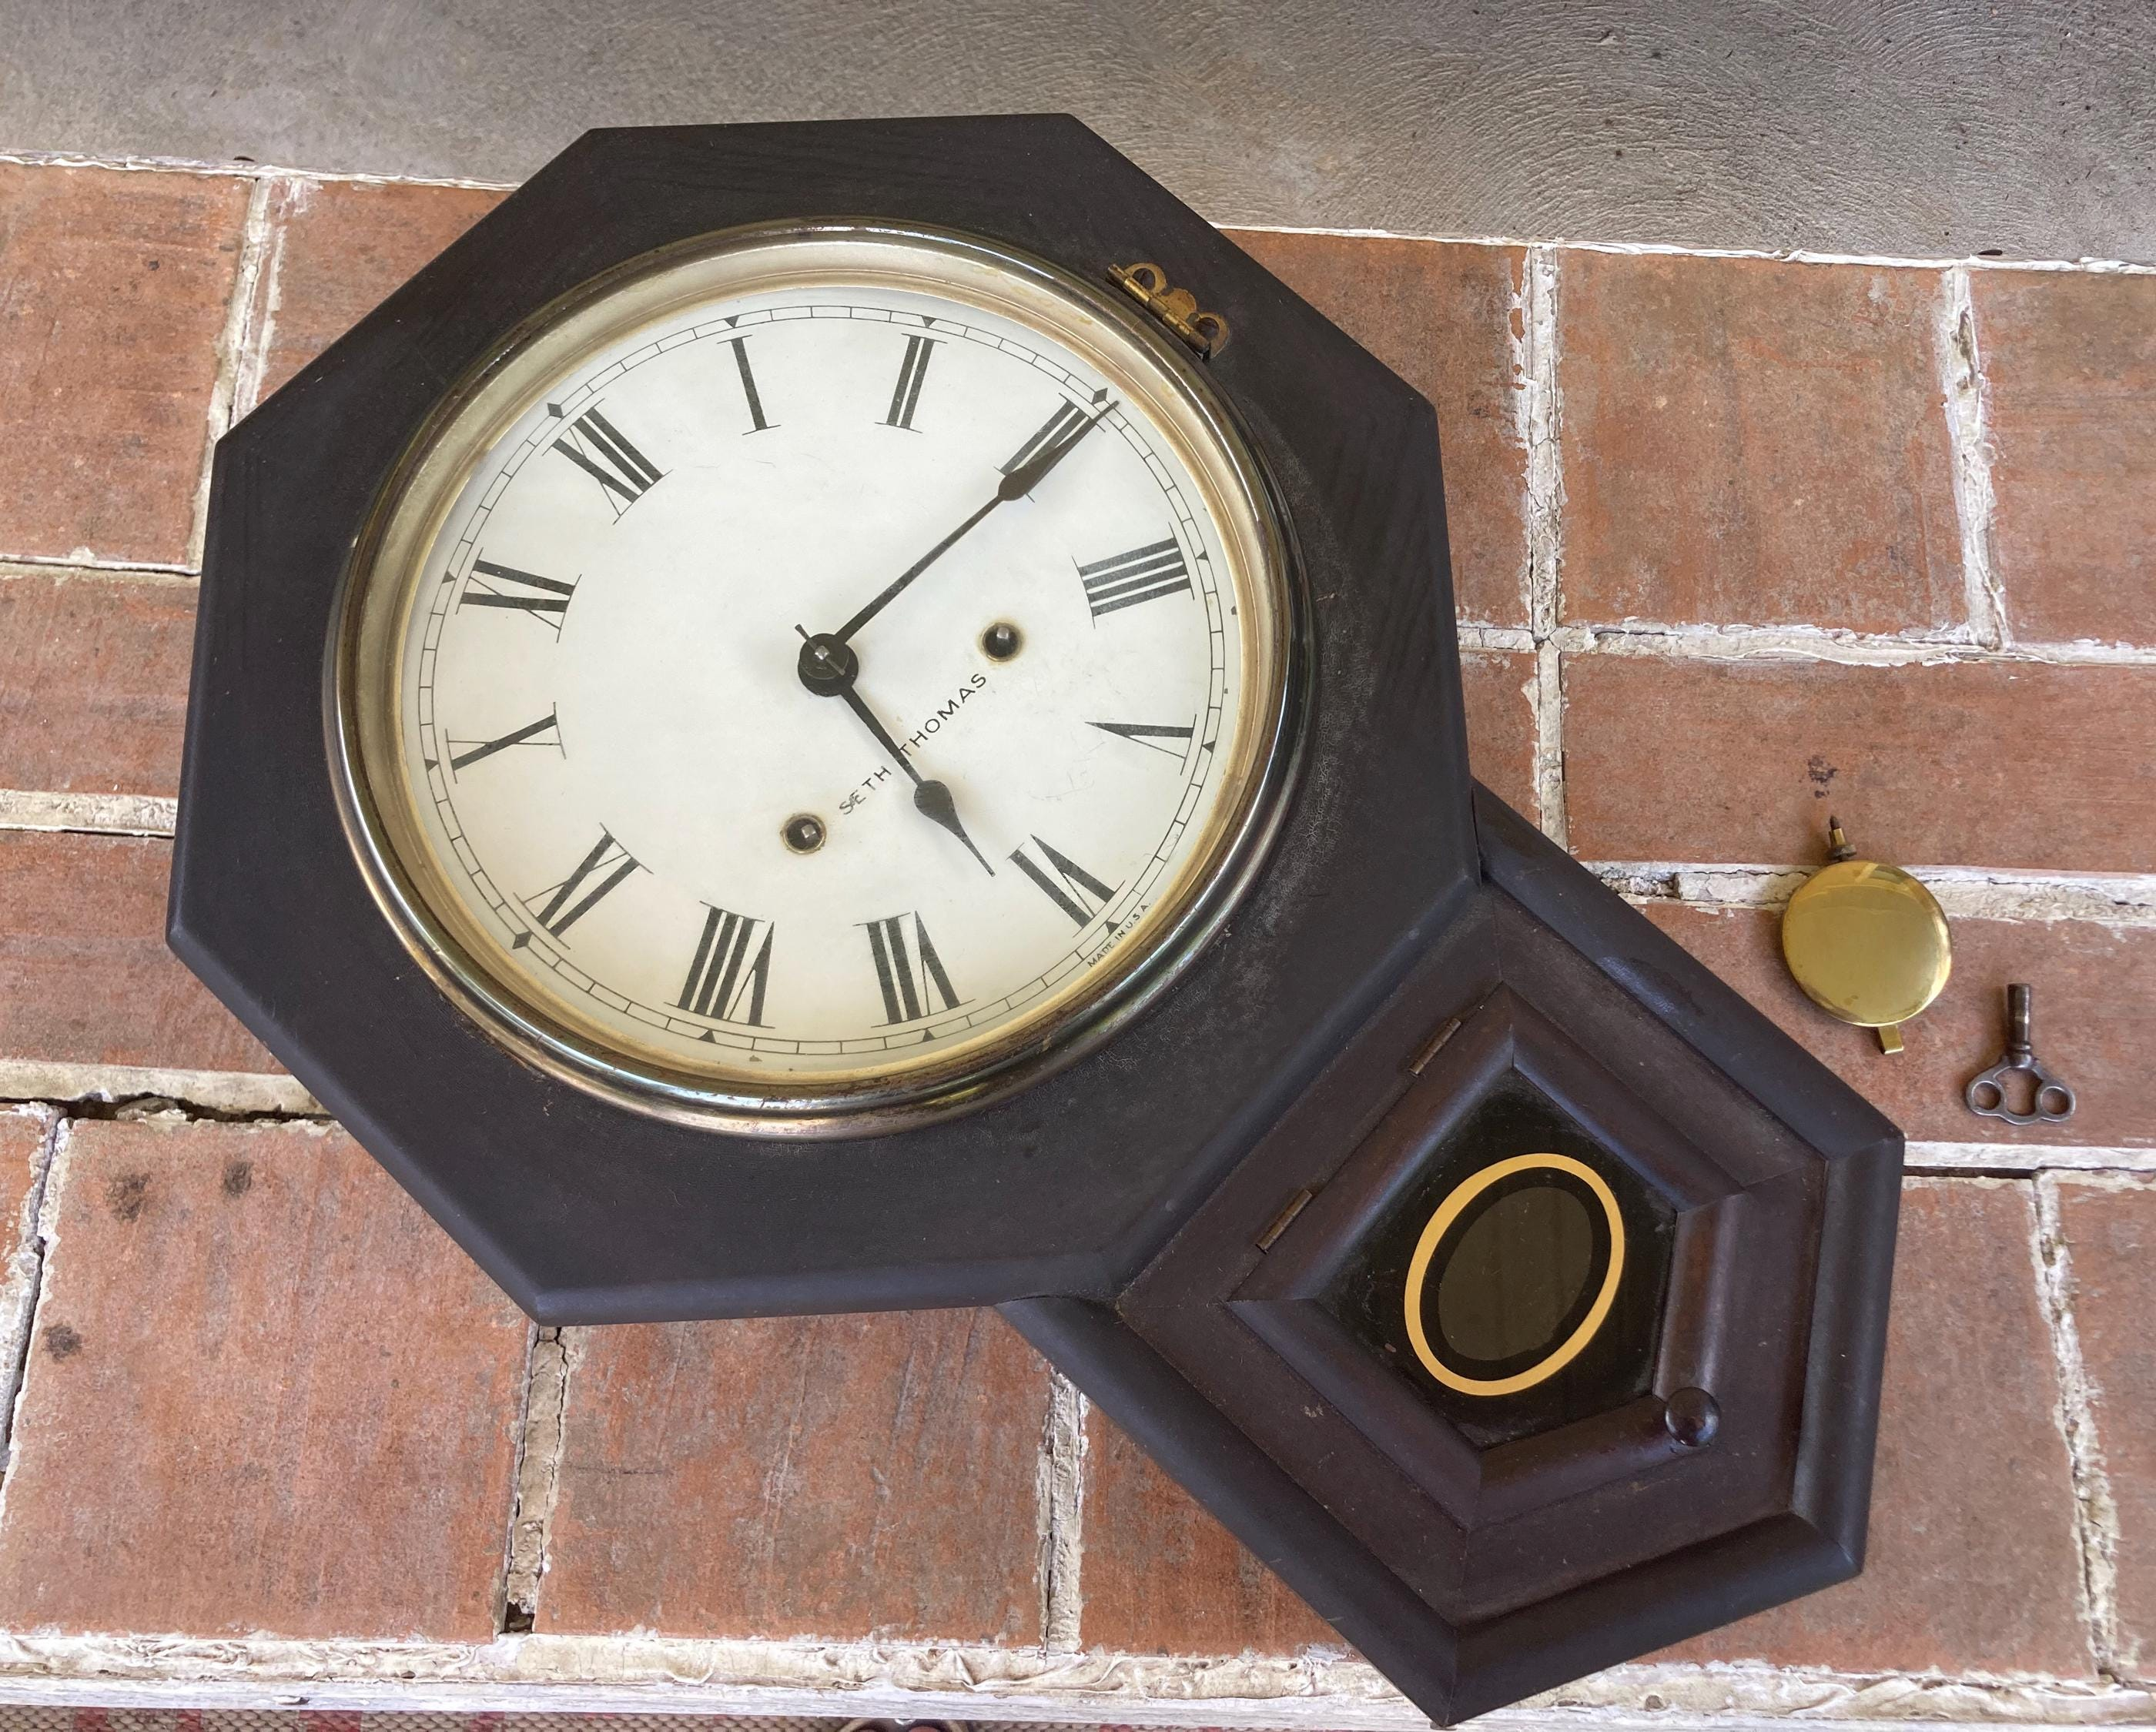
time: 5:09
